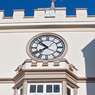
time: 7:52
